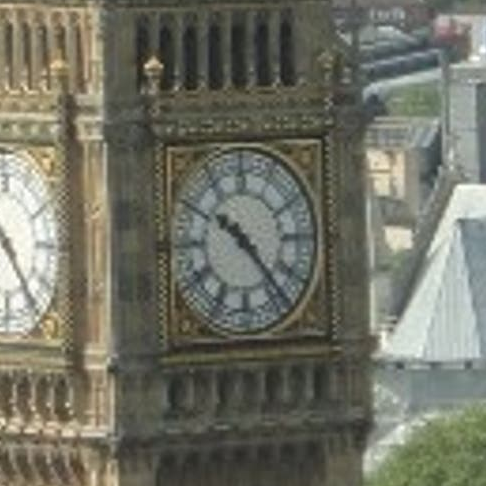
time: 10:23
